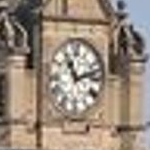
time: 11:12
